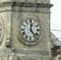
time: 12:23
